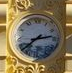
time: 2:38
